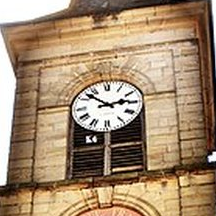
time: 2:52
